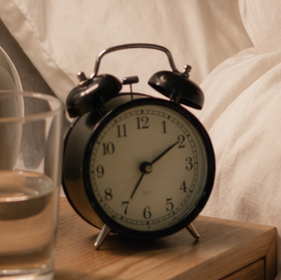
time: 7:09
